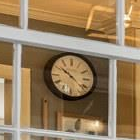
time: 10:22
